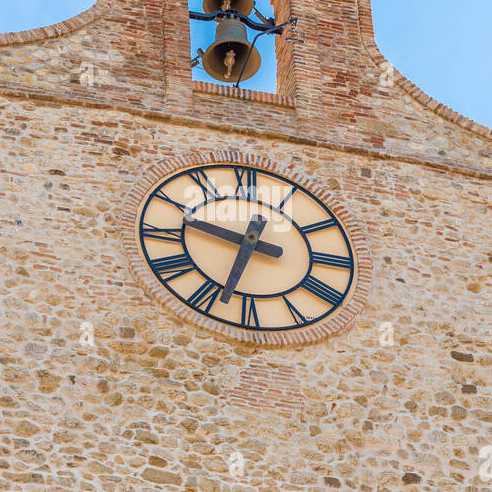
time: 9:33
